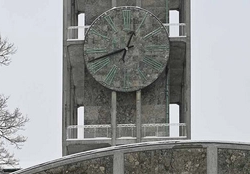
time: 12:42
